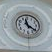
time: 11:21
